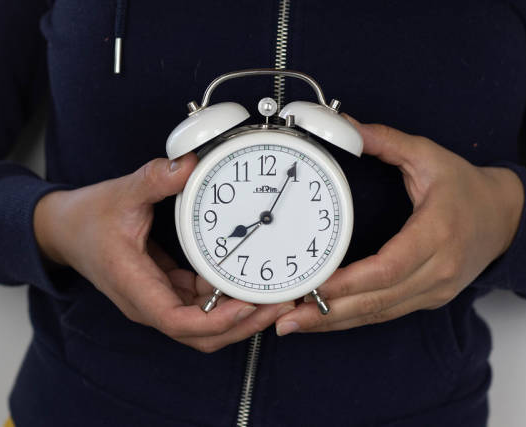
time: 8:05
